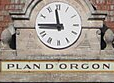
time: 11:45
